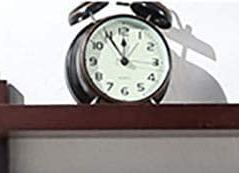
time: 11:54
